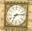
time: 7:13
